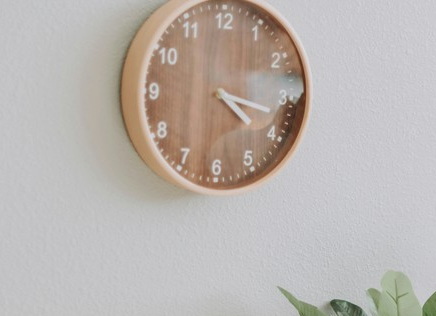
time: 4:17
